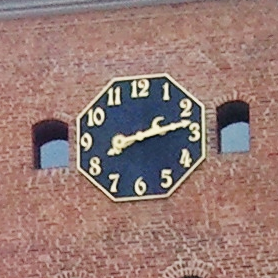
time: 8:12
